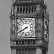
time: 7:40
